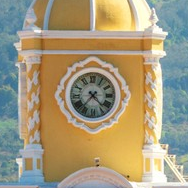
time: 4:36
